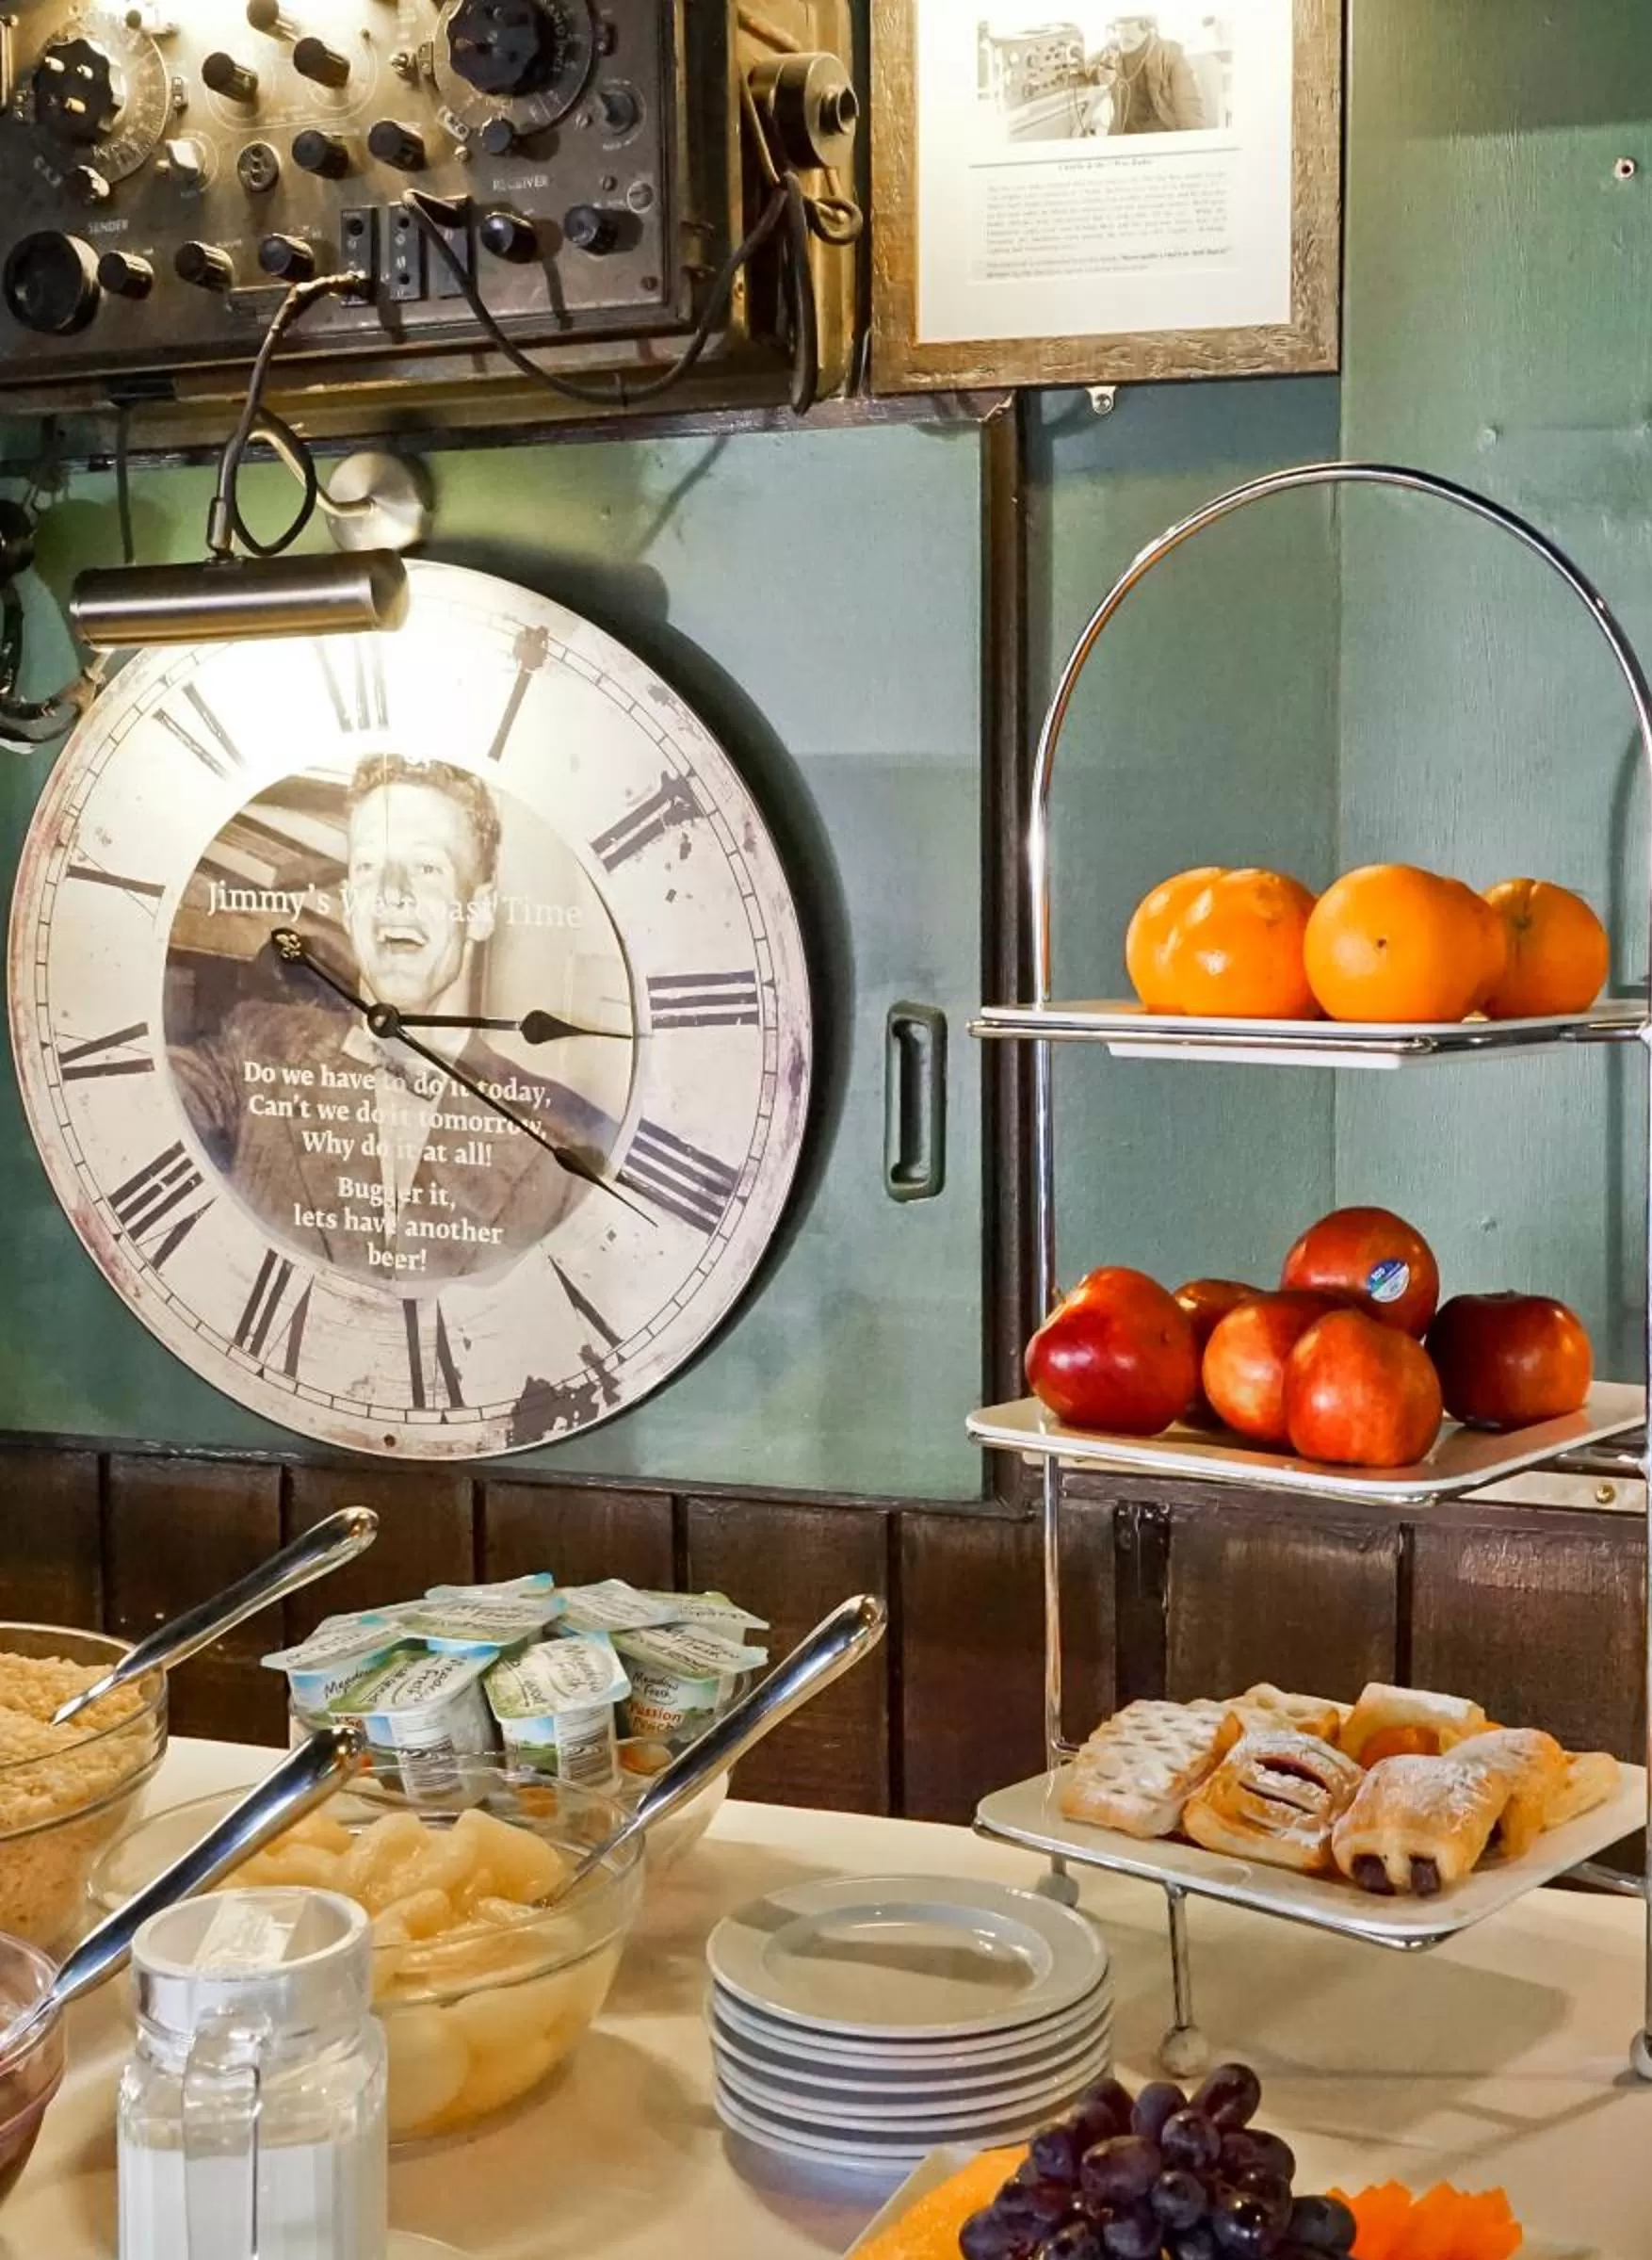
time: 3:20
